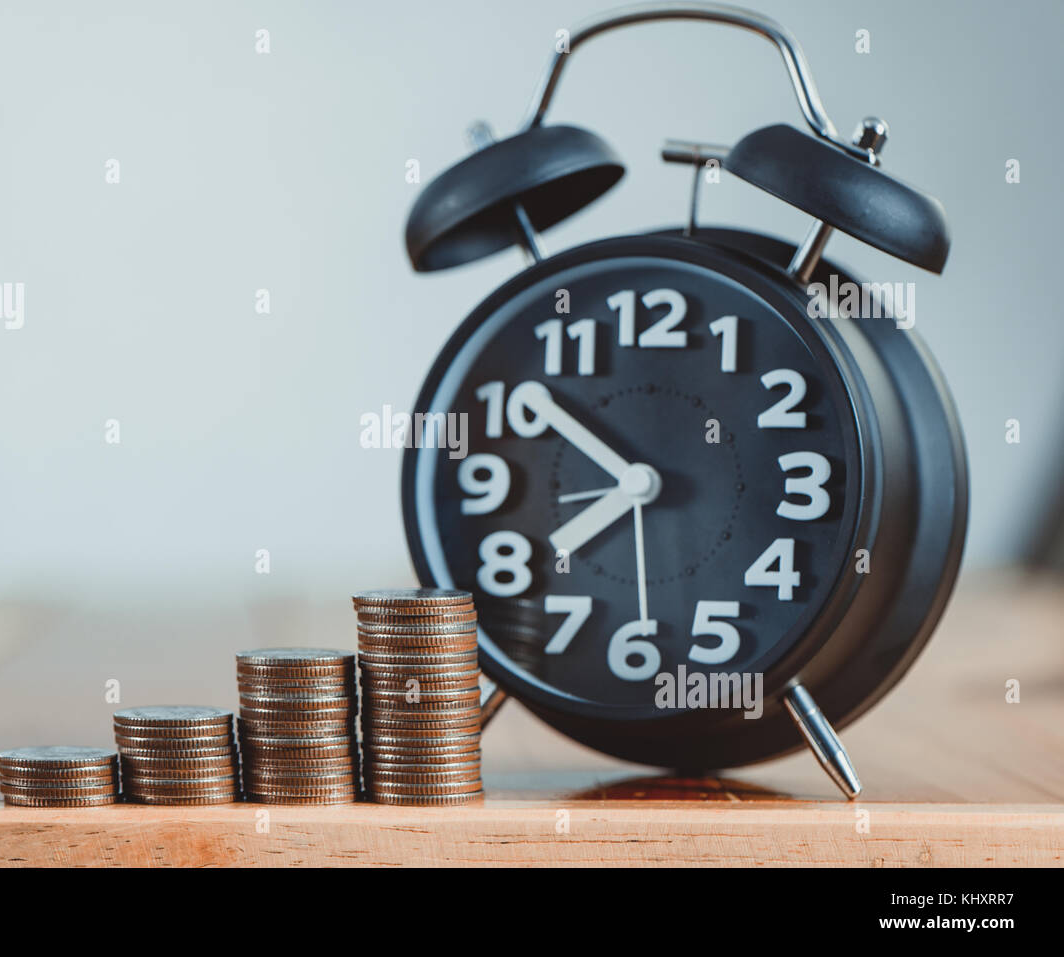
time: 7:51
